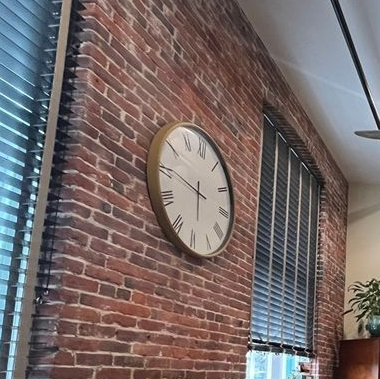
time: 5:45
